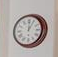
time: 12:04
